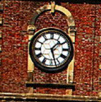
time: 1:27
